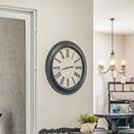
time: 2:42
